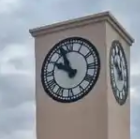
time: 9:56
